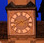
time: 8:11
